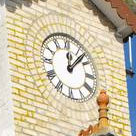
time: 12:07
